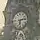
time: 6:13
